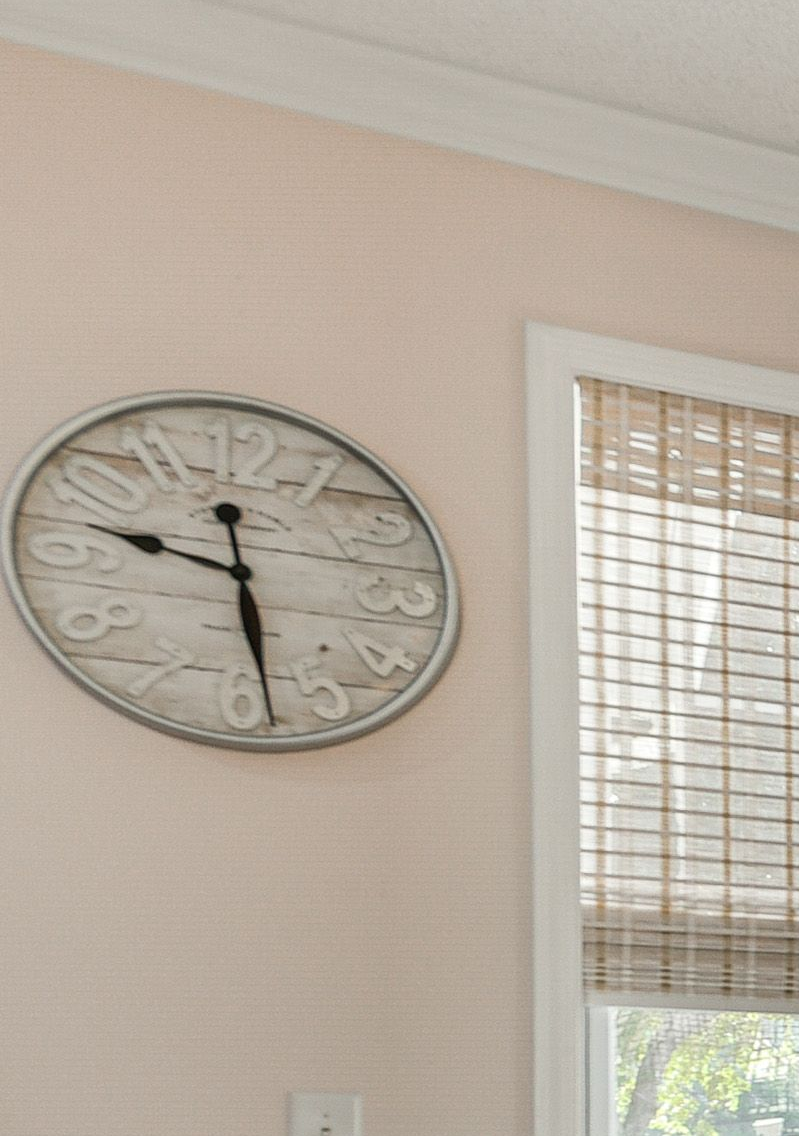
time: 9:28
